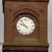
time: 9:53
